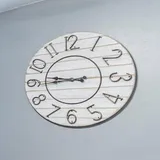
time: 8:45
